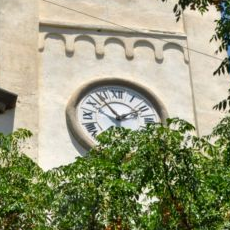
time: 1:53
